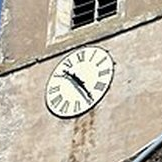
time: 10:24
